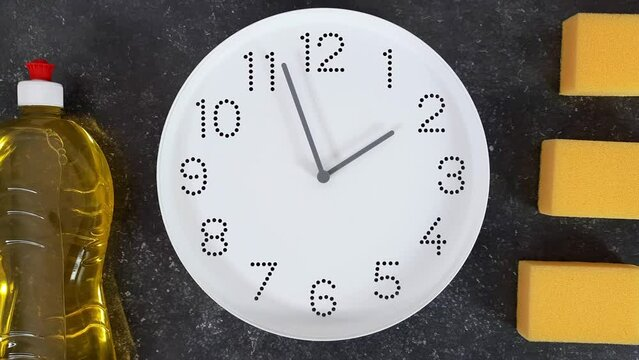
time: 1:56
